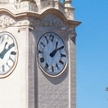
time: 1:09
